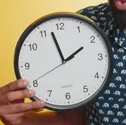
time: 1:57
